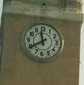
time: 11:40
